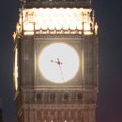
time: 9:27
